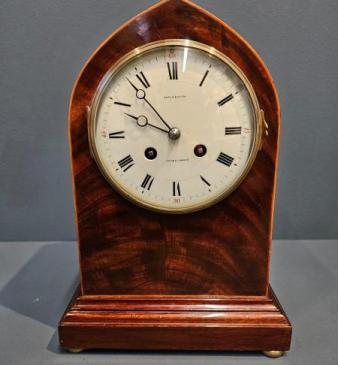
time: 9:53
